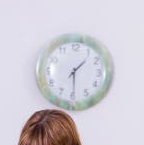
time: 1:29
